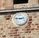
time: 2:46
